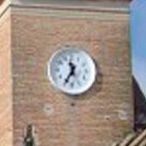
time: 11:35
